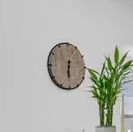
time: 6:30
